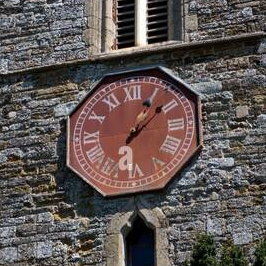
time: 1:08
